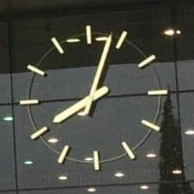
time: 8:03
